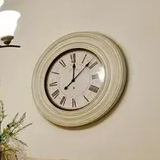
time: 12:08
